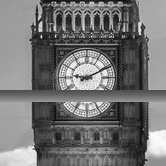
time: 9:10
